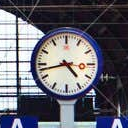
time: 4:42
